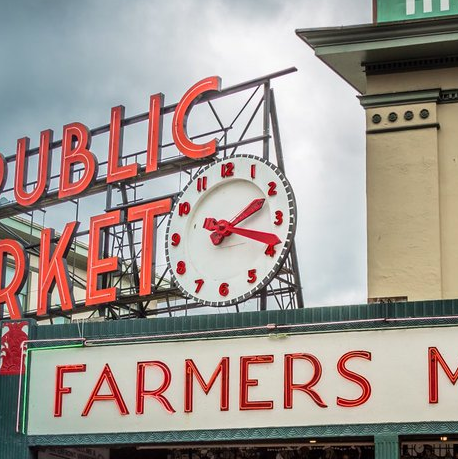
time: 2:18
